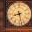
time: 8:27
